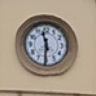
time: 11:30
